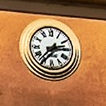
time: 2:36
